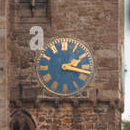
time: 2:17
